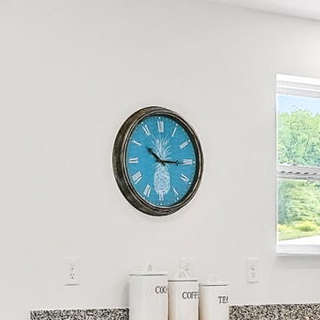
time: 10:15
